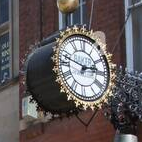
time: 2:48
